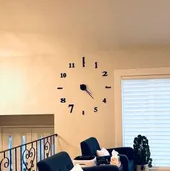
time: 4:22
